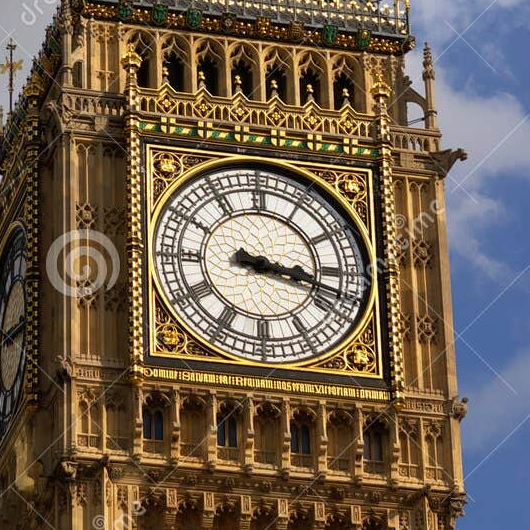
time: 3:17
